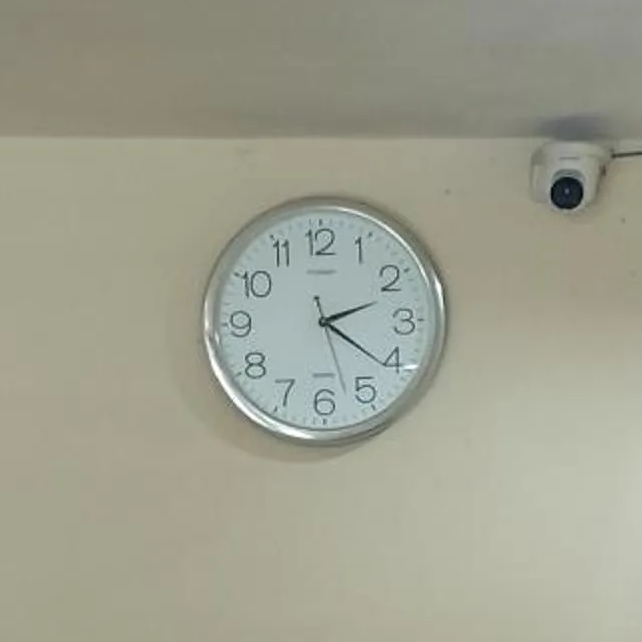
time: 2:21
